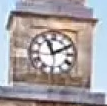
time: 11:10
